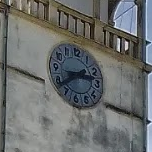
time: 2:38
